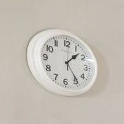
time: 1:24
